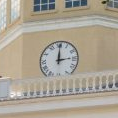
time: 3:00
